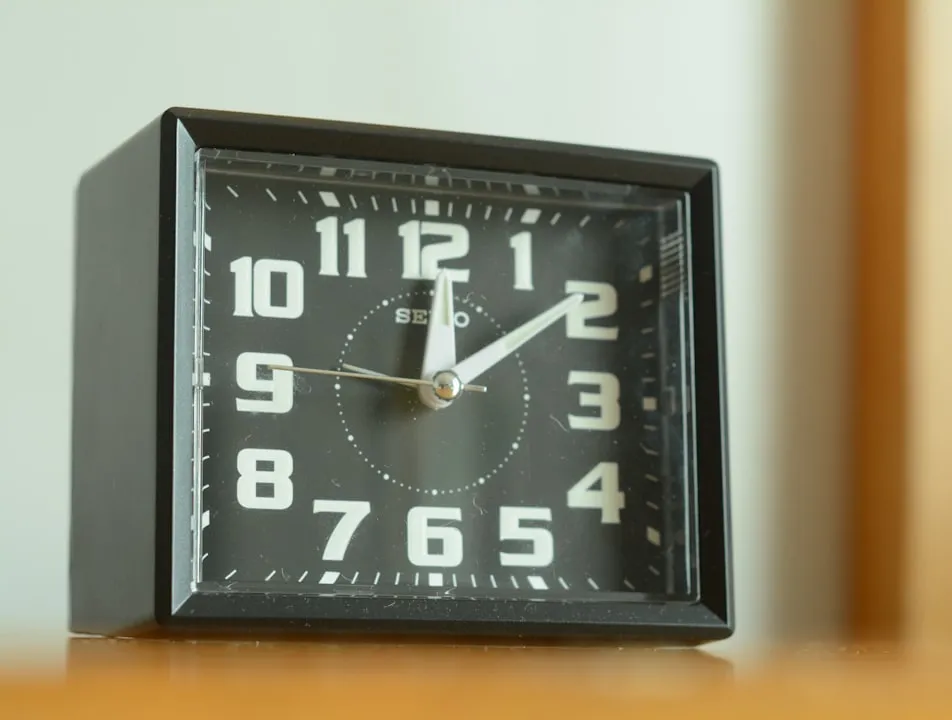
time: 12:08
